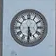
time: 5:30
